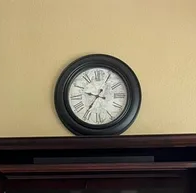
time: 9:35
